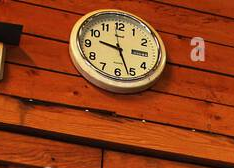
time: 9:26
